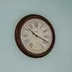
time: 10:18
